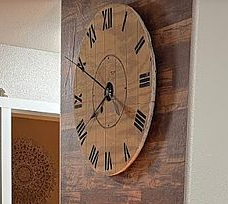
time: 7:49
